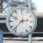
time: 2:37
